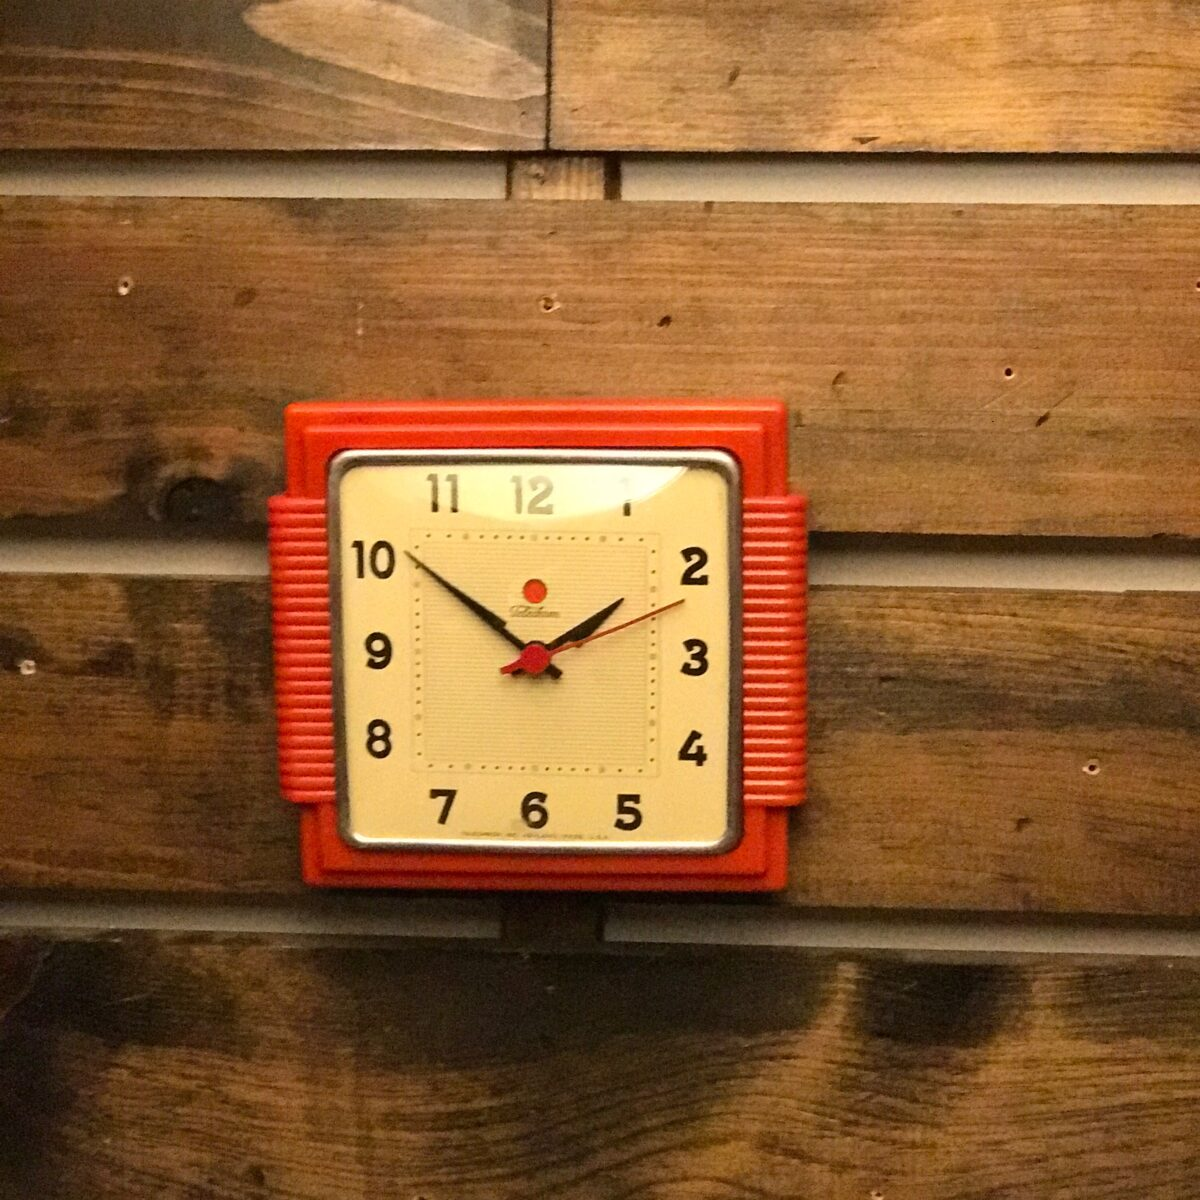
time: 1:51
